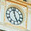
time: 4:57
